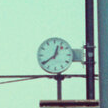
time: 12:39
